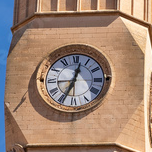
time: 12:34
